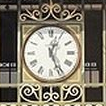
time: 12:26
